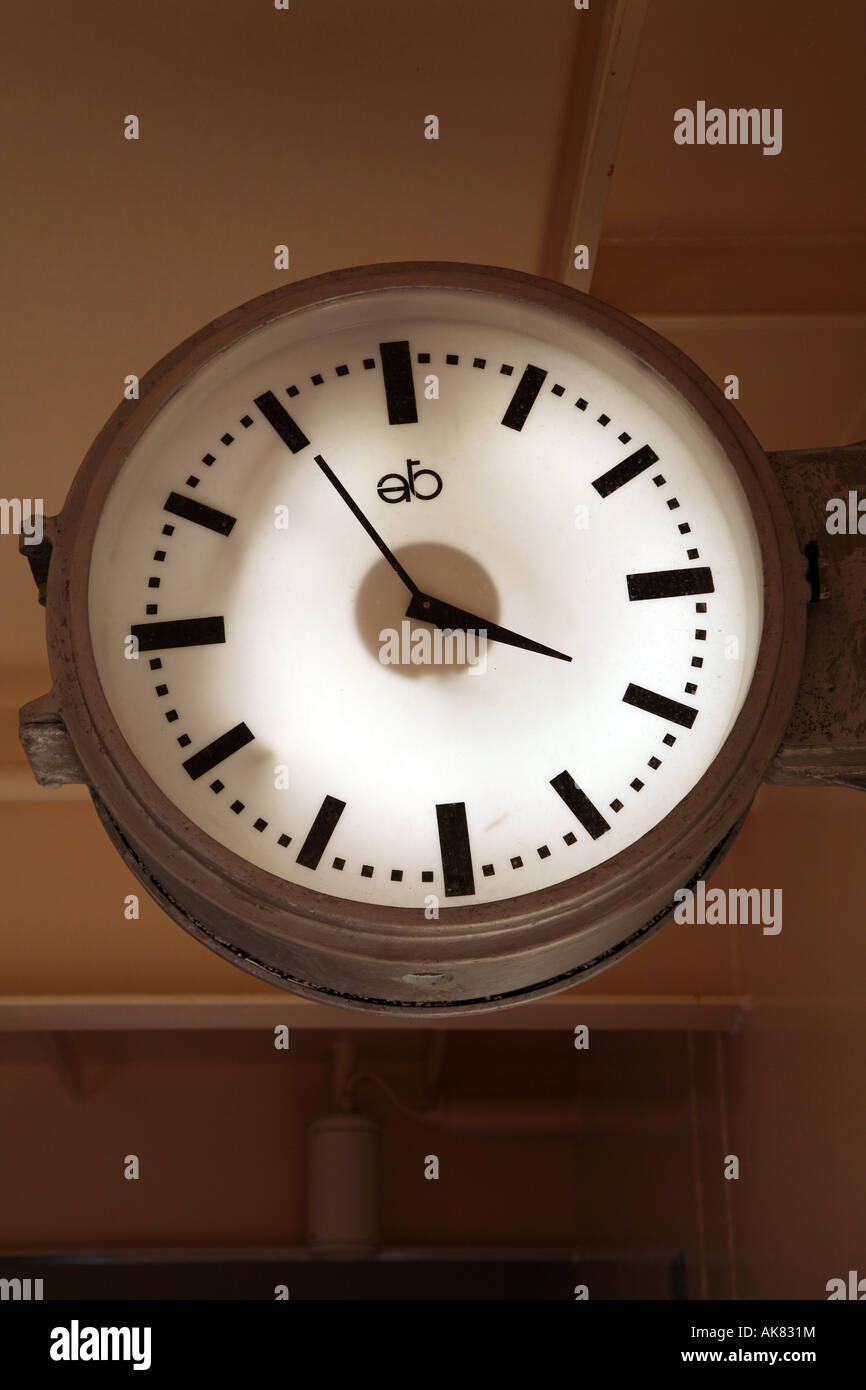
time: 3:55
